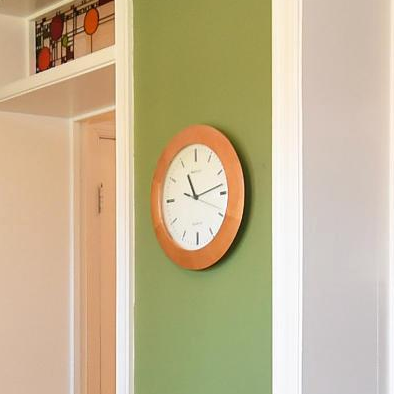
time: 11:13
